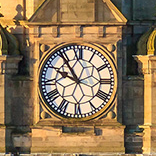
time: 9:54
